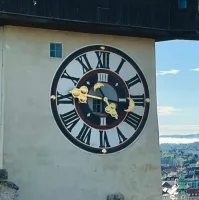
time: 4:46
